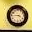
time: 3:44
